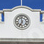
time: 6:58
